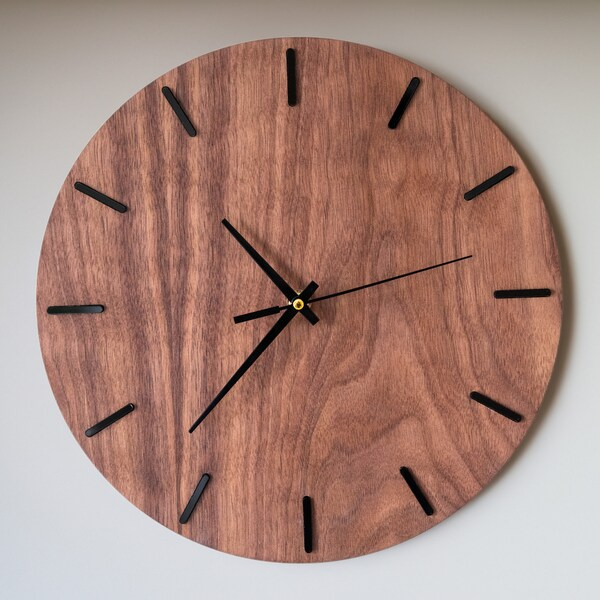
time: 10:37
